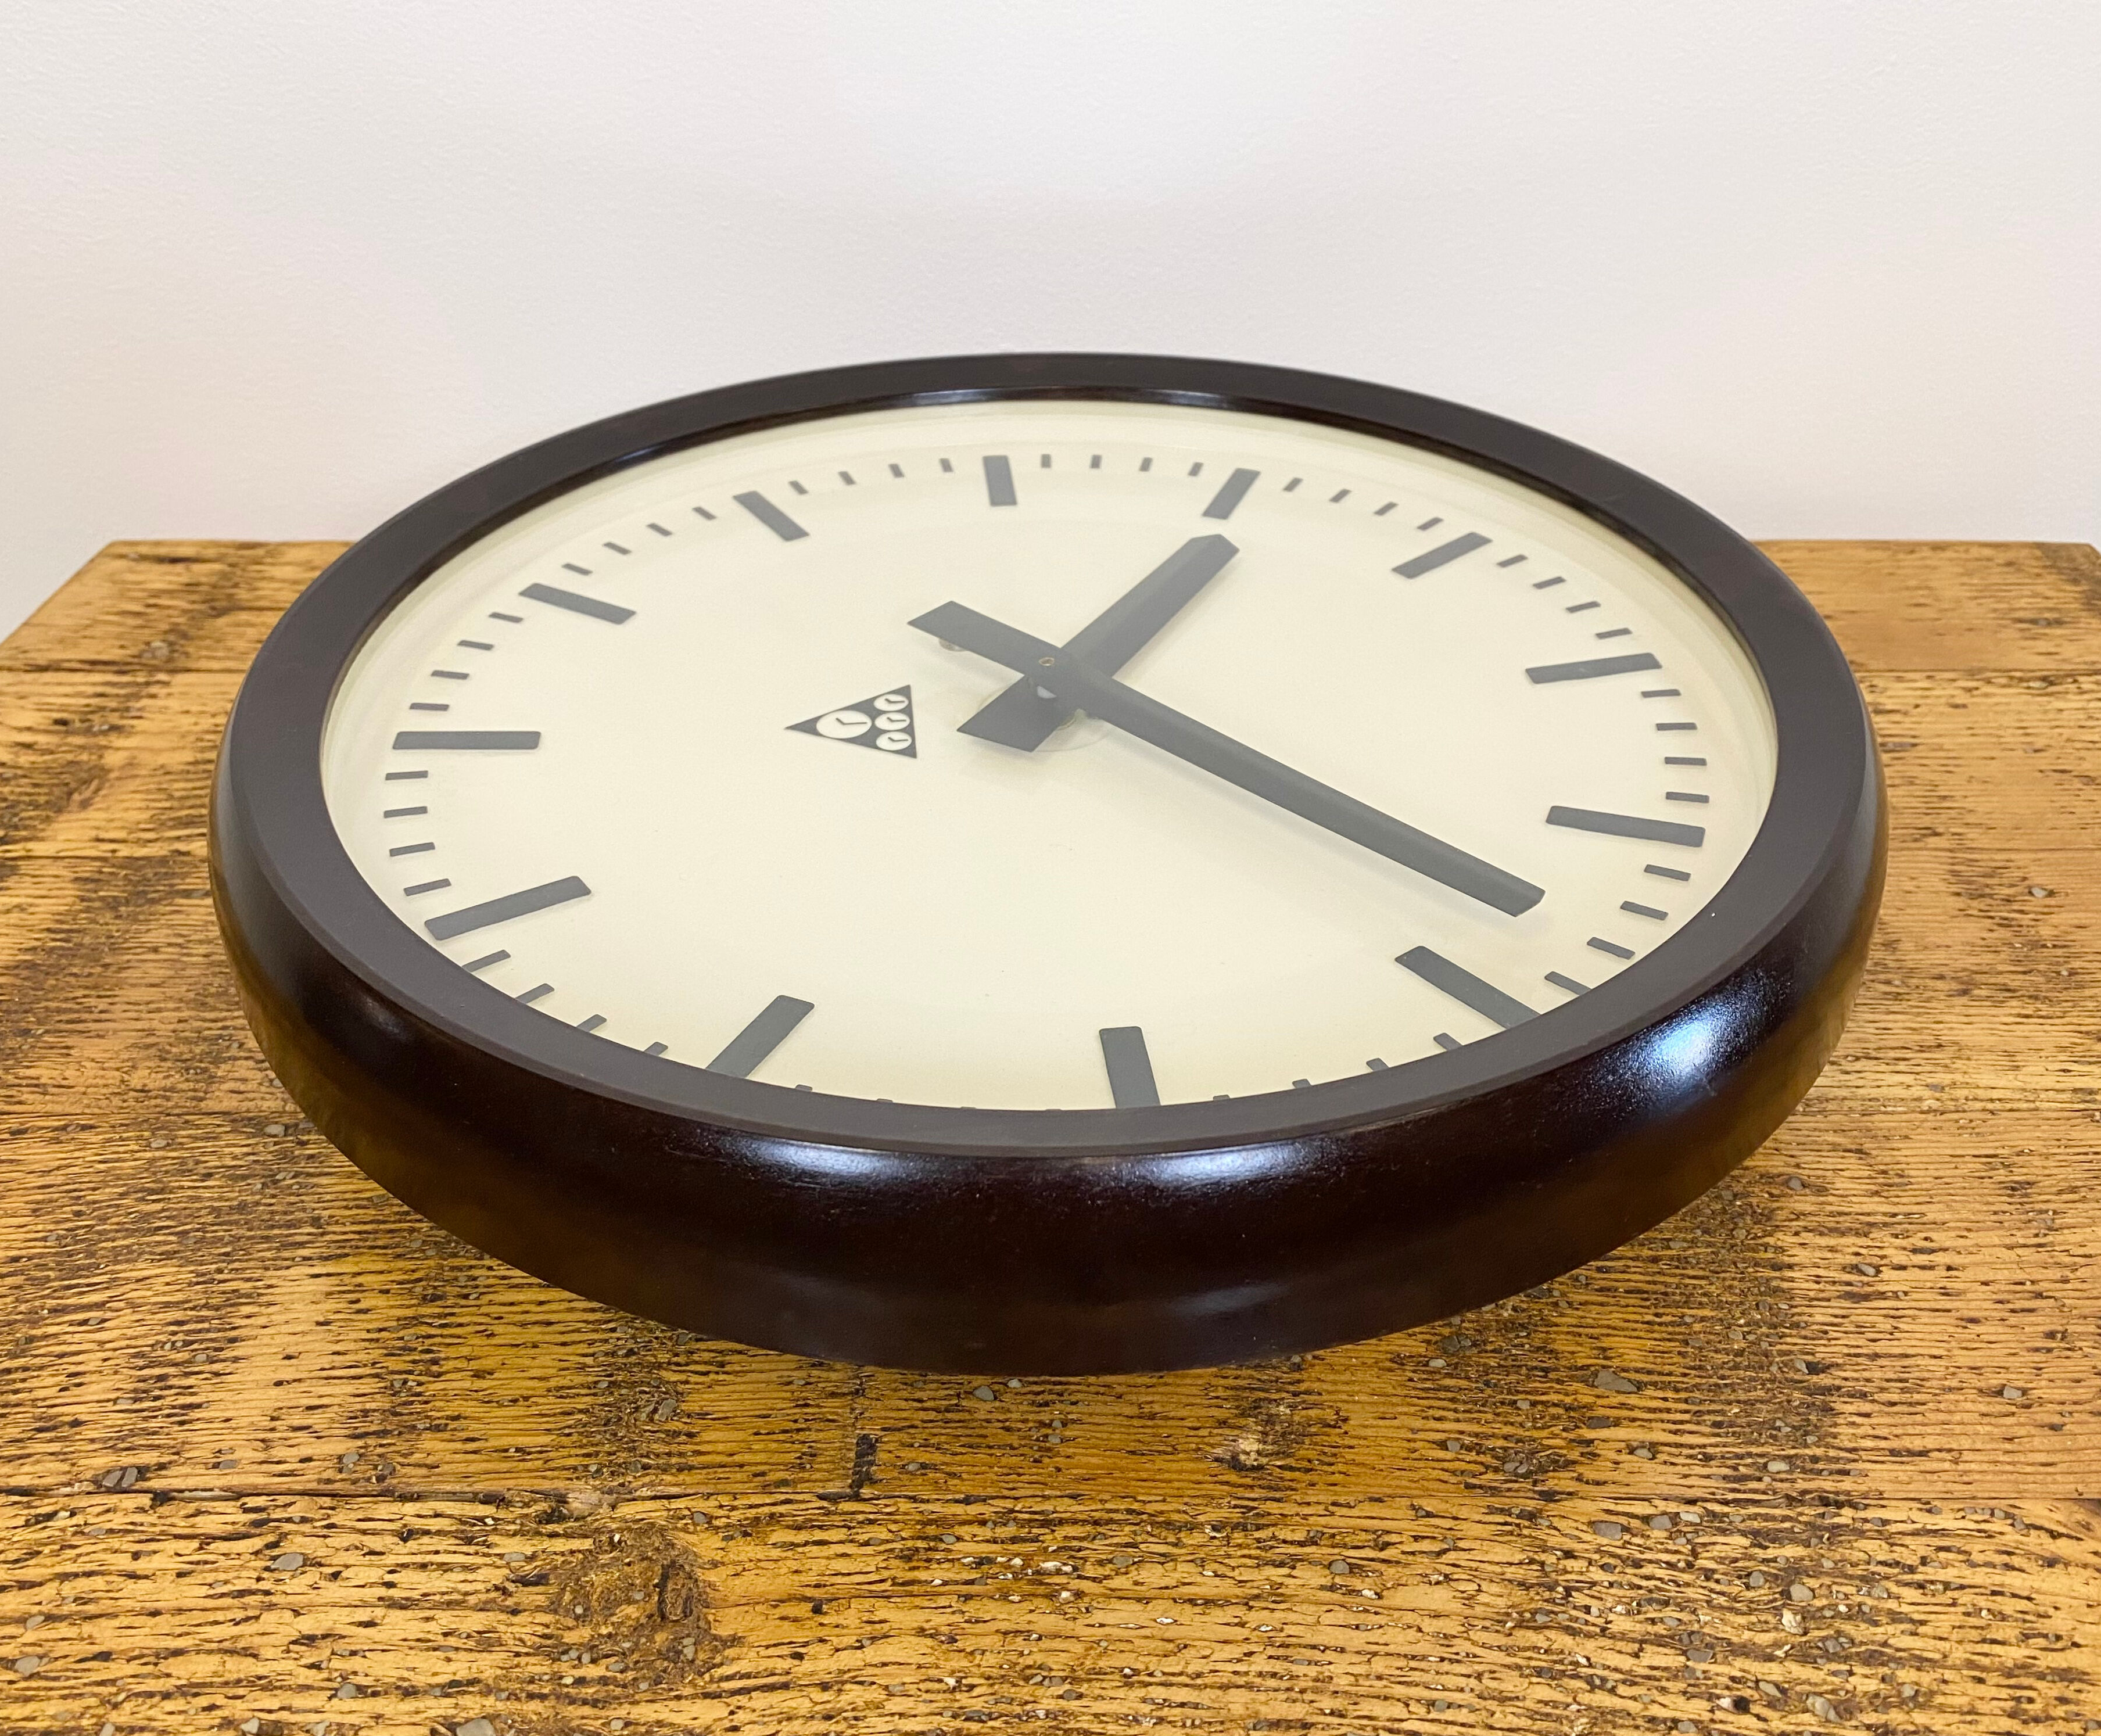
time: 1:22
